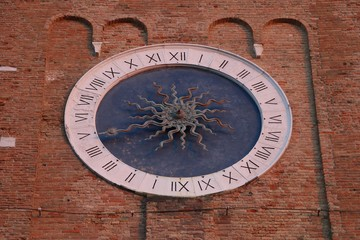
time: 9:42
